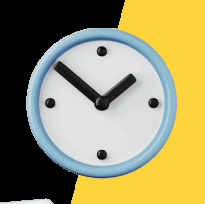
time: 1:51
